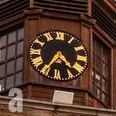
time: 4:35
